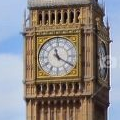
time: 11:20
